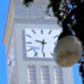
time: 9:31
